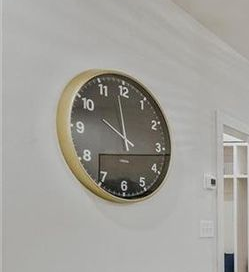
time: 9:58
